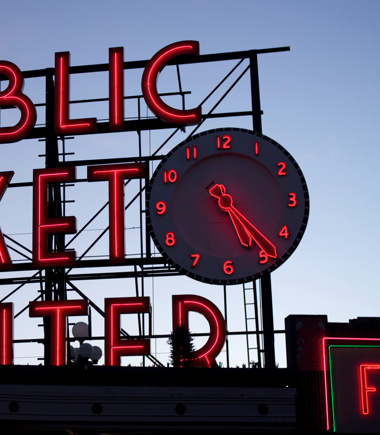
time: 5:23
